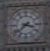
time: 3:37
